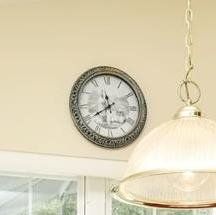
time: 11:39
